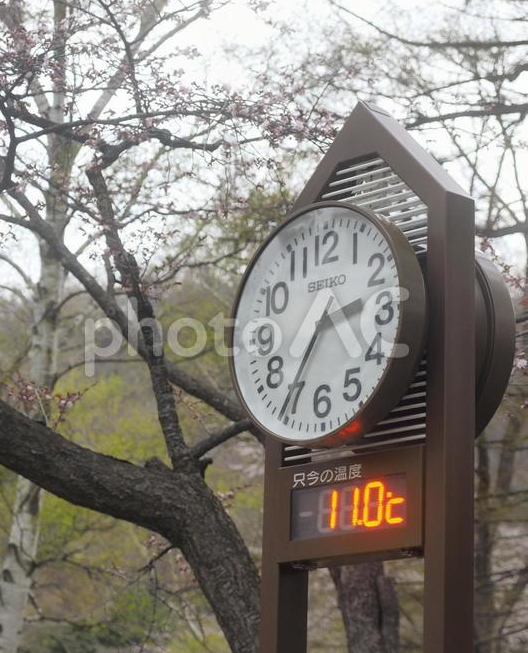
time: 2:35
